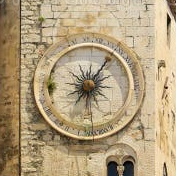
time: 8:05
